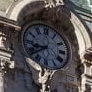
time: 8:38
